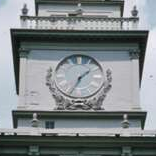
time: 1:33
